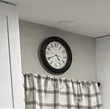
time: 4:40
